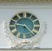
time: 9:22
